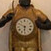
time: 5:49
